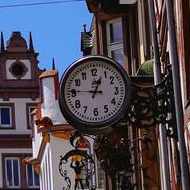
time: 12:45
